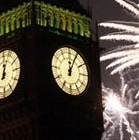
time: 12:04
